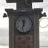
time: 11:32
